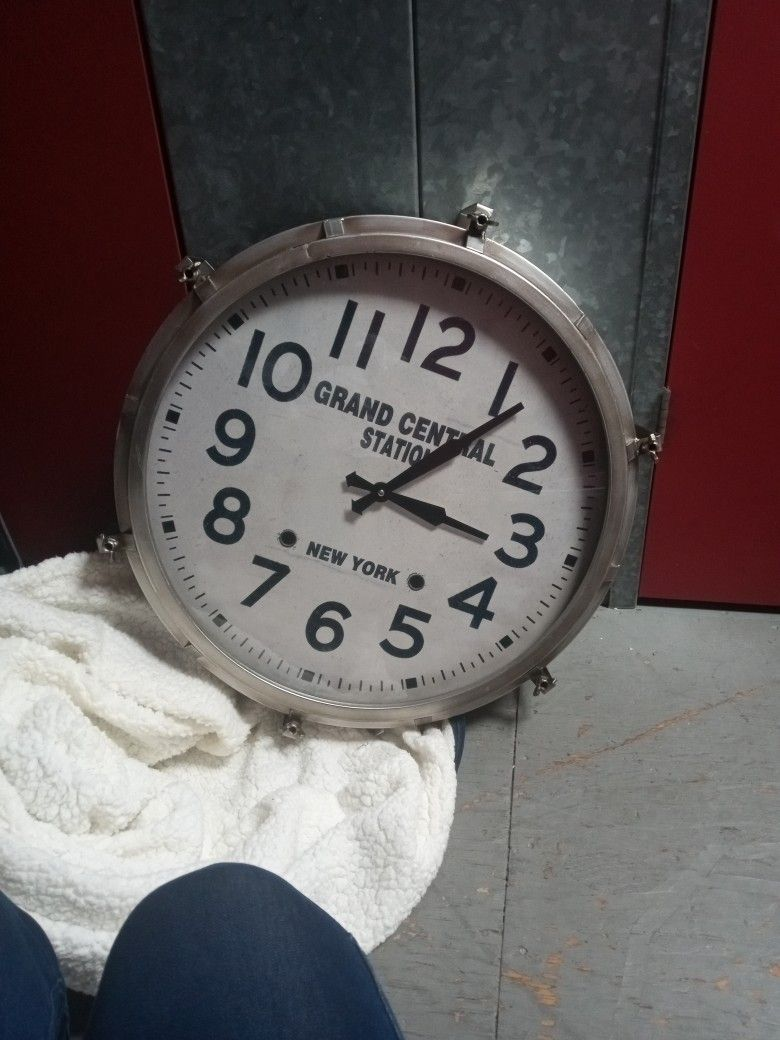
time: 3:06
